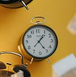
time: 1:24
